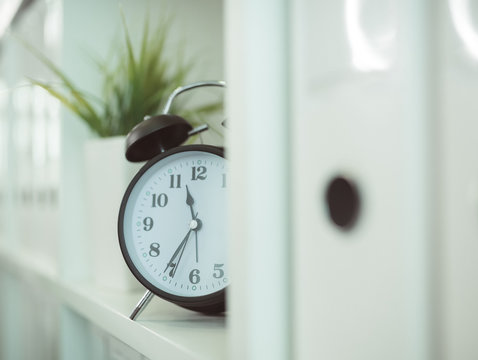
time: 11:35
